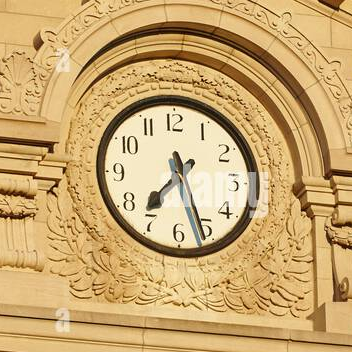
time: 7:26
